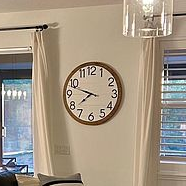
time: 7:48
